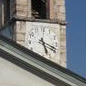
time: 5:18
